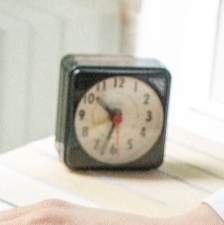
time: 10:33
